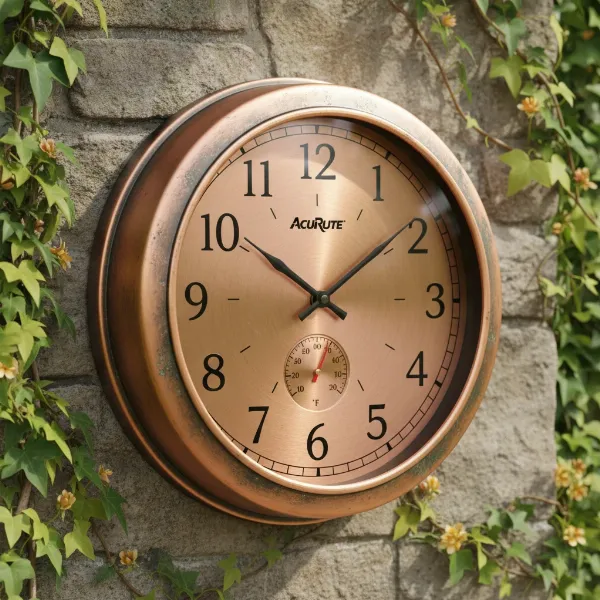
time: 10:09
